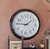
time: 1:45
